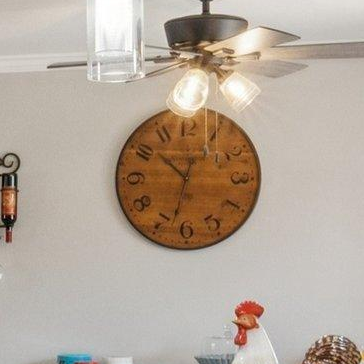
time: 10:32
